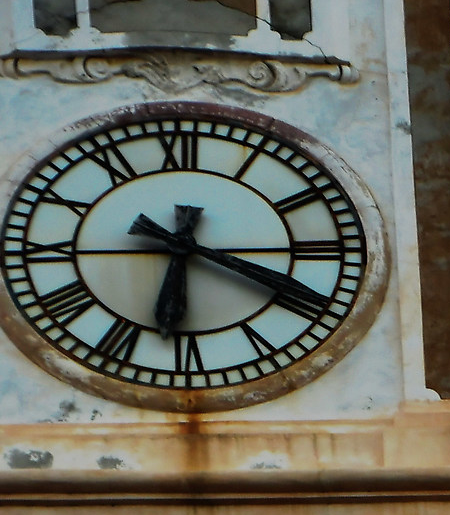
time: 6:19
